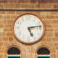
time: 5:13
